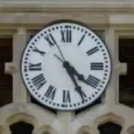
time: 4:25
